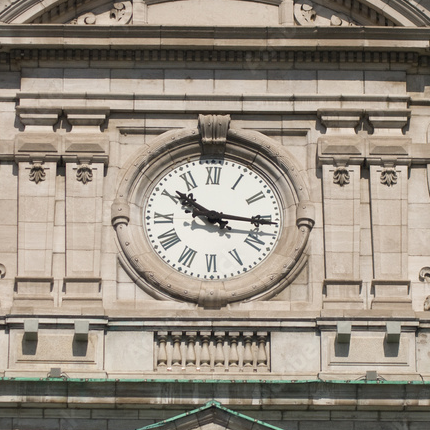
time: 10:15
